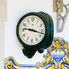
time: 9:17
